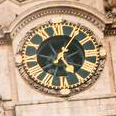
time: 5:05
